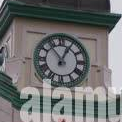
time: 12:53
